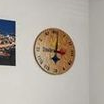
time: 3:01
